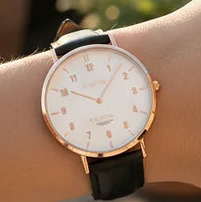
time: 10:07
